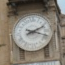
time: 2:18
